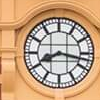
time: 8:16
